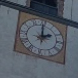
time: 2:00
